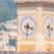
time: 3:31
